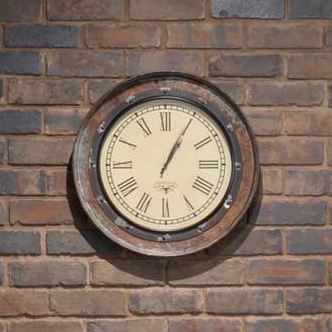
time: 1:04
